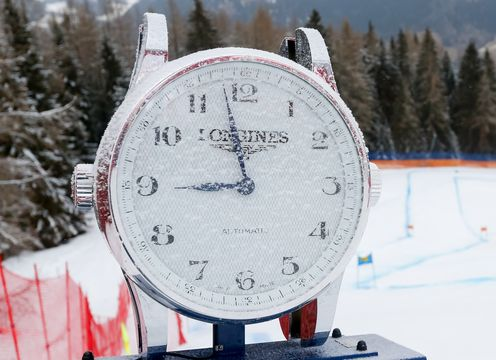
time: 8:58
